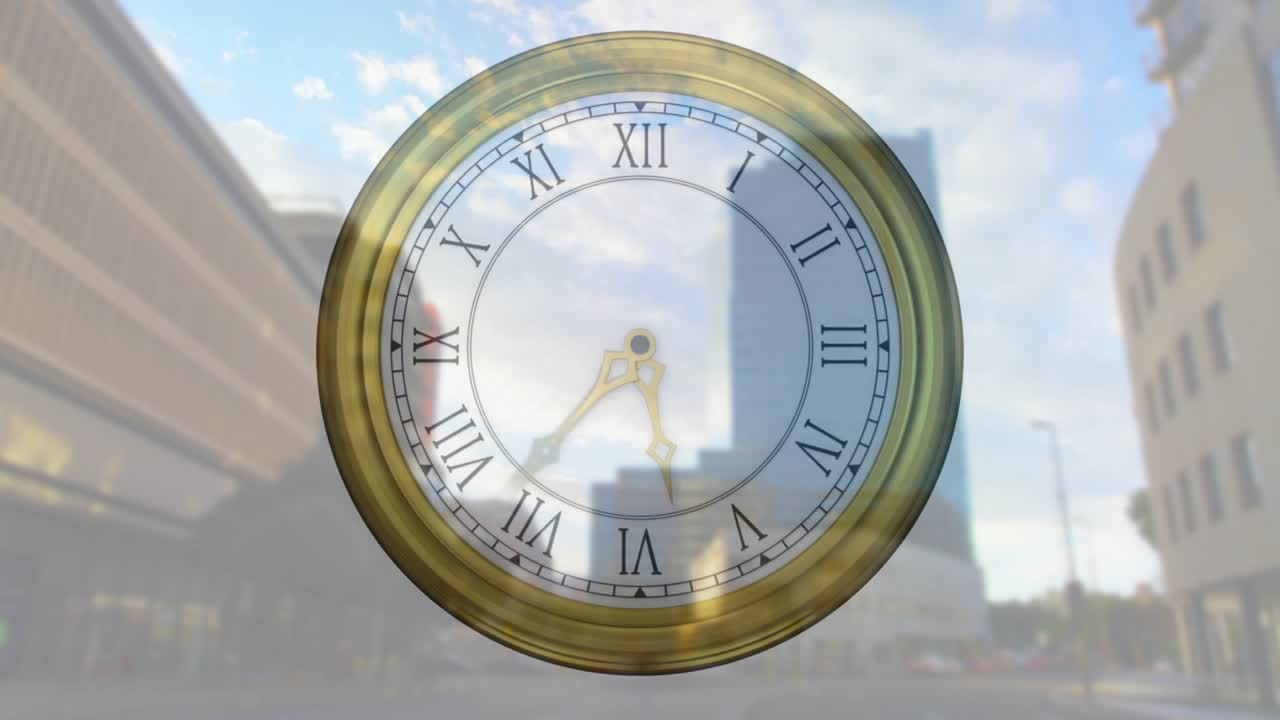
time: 5:36
